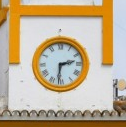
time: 2:31
